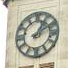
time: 1:09
